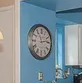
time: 11:13
